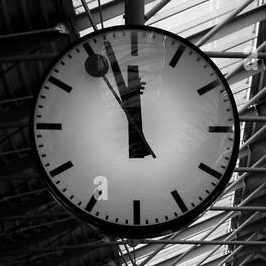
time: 11:56
